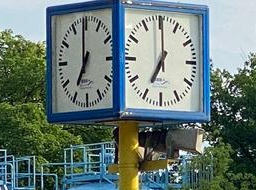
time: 7:00
